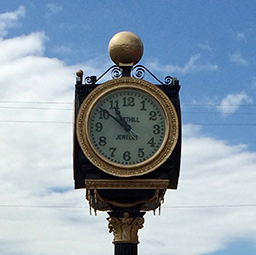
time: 10:51
